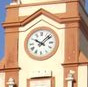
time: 10:07
